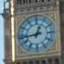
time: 12:43
